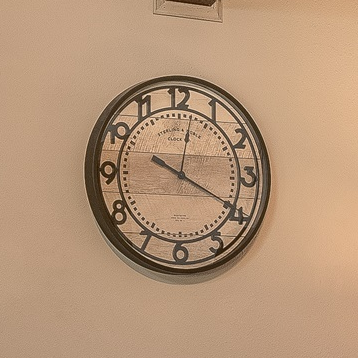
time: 12:19
